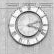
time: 2:18
